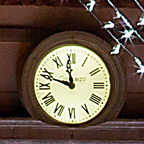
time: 11:47
